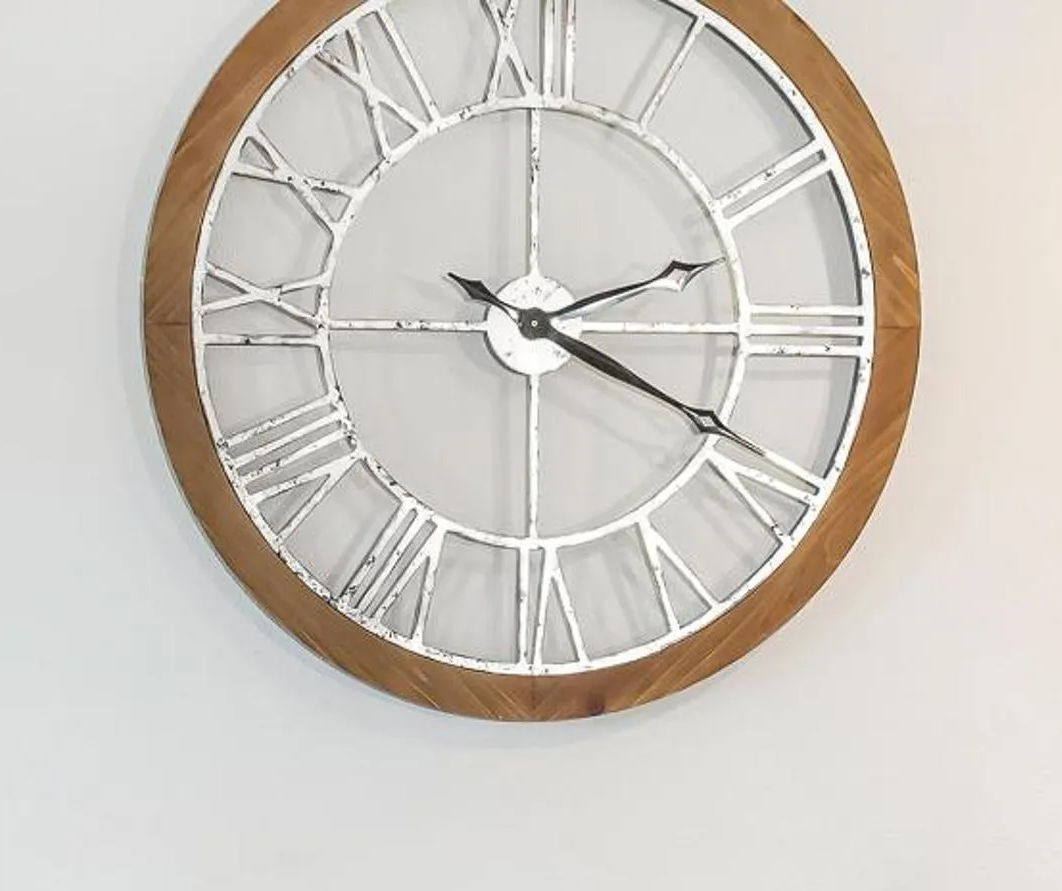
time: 2:19
